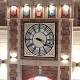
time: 4:17
